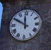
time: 11:49
